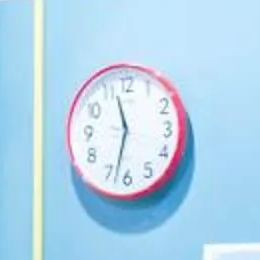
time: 11:32
